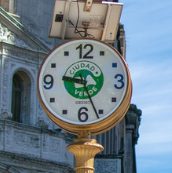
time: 9:26
